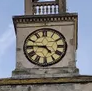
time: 4:45
